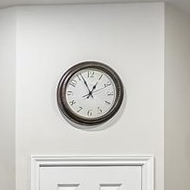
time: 12:56
